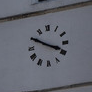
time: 3:49
